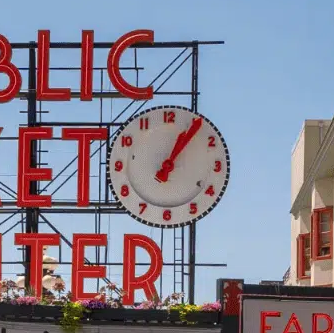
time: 1:06
